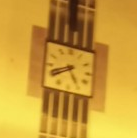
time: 4:40
